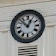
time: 12:52
